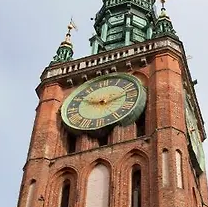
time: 9:12
